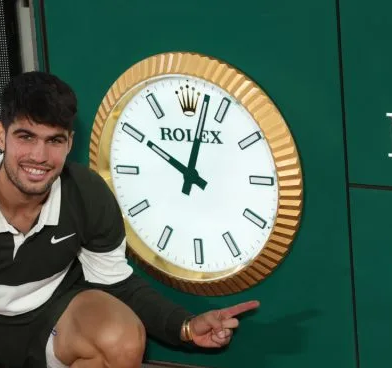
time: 10:02
